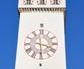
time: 3:29
